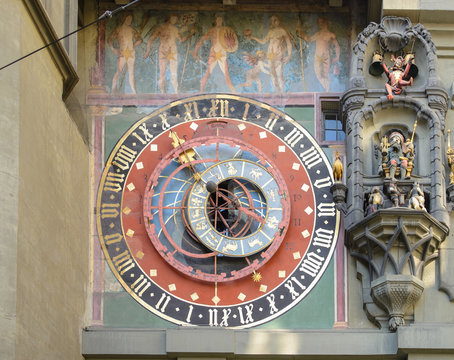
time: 11:52
